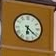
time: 6:21
